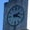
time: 2:18
